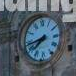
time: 7:43
